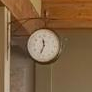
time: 11:33
